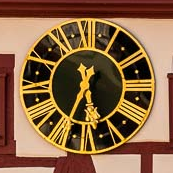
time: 5:33
